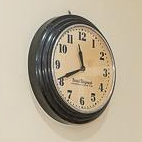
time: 11:41
